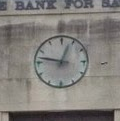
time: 12:47
